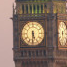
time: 5:30
